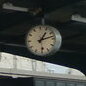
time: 1:12
